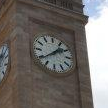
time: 1:39
